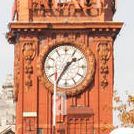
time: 1:35
